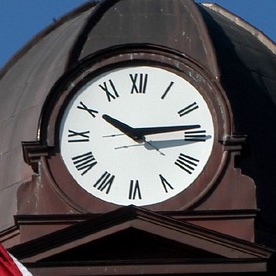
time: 10:13
